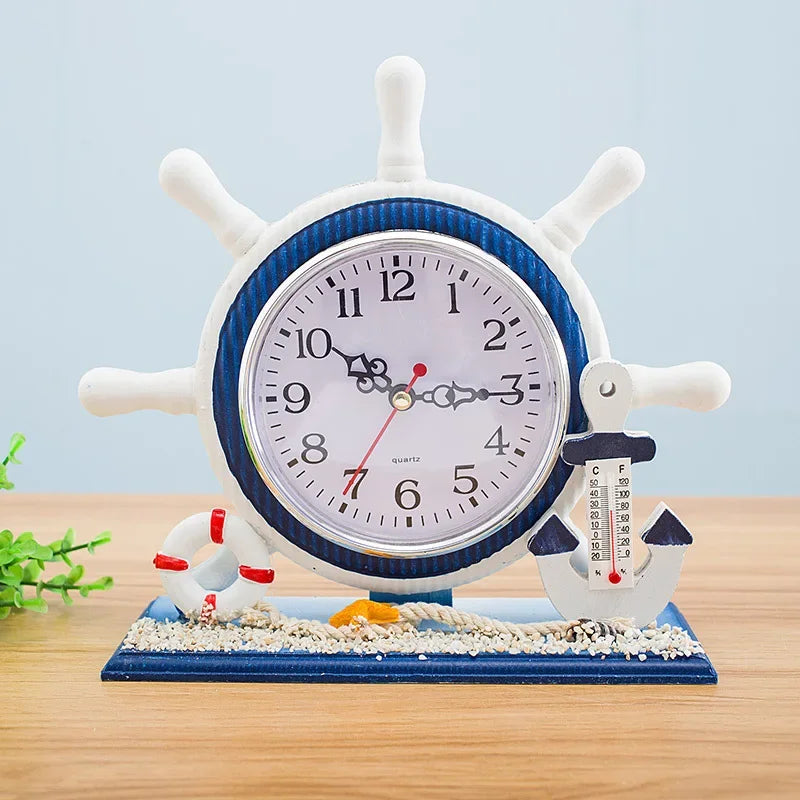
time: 10:15
